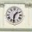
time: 1:32
